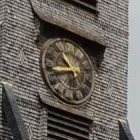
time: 10:43
